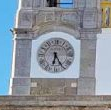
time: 6:25
